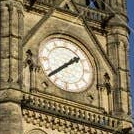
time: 1:38
